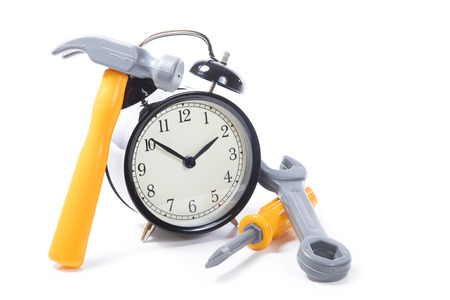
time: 1:51
